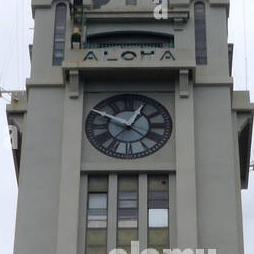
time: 12:49
